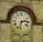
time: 2:32
